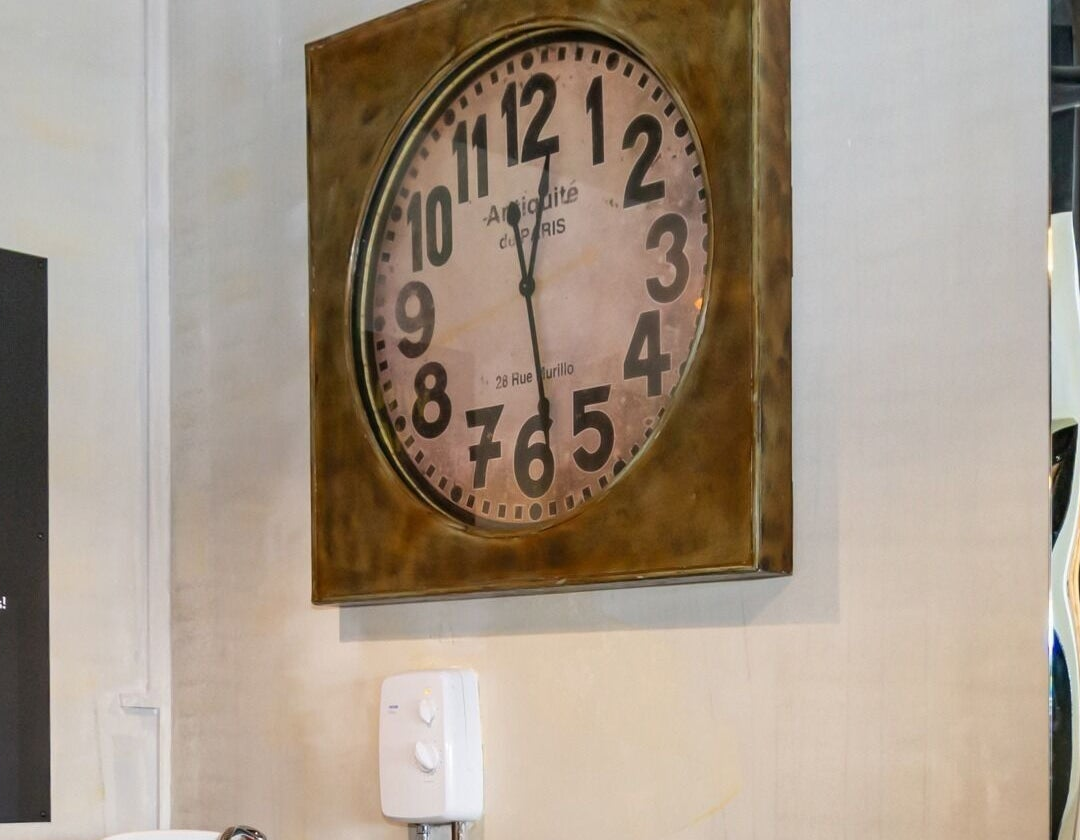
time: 12:28
